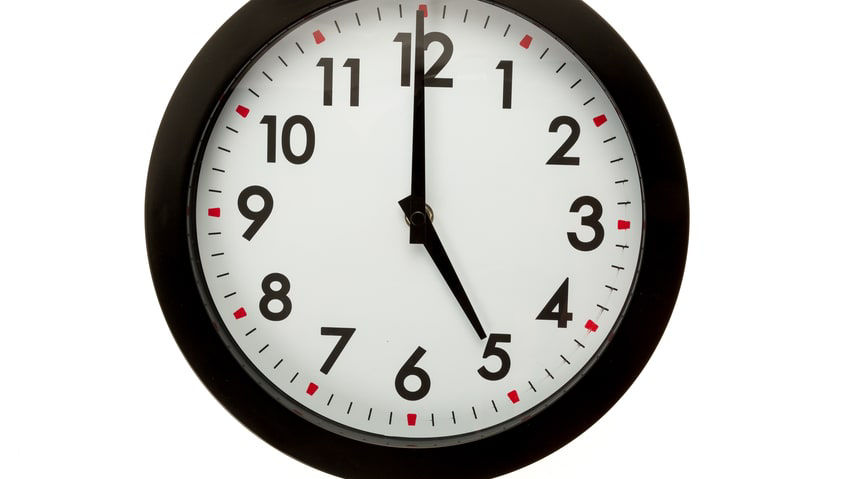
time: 4:59
